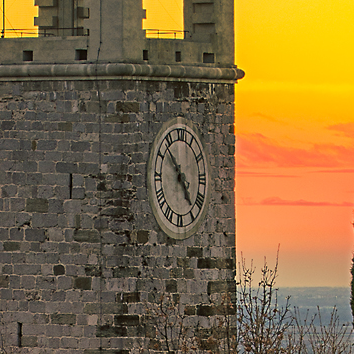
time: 4:52
